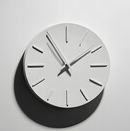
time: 1:54
